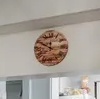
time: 11:50
